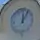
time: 12:05
